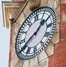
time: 1:39
